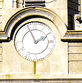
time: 1:56
